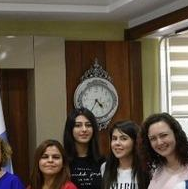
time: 4:35
